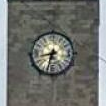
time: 8:33
